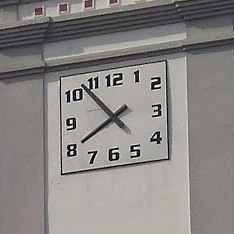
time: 7:53
